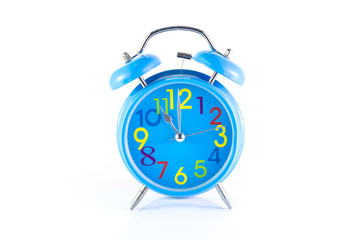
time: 10:59
